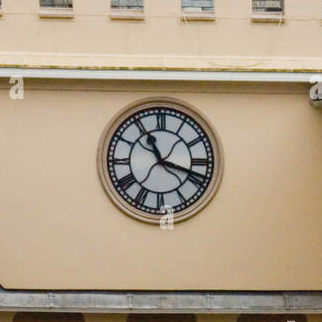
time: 11:18
